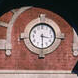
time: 3:29
